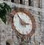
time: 2:54
